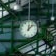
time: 12:07
